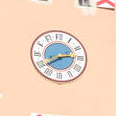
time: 2:40
